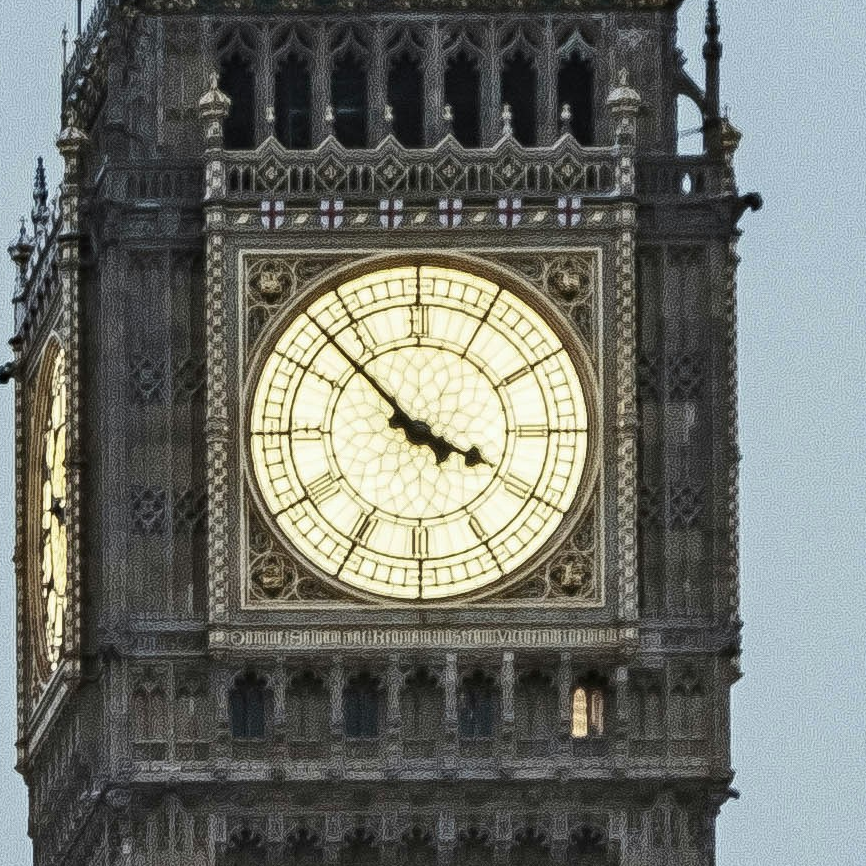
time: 3:52
